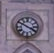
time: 3:50
